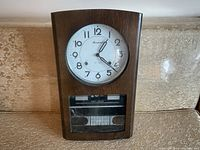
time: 1:21
